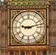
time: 9:12
